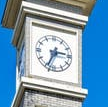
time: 2:34
